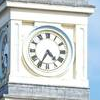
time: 4:34
